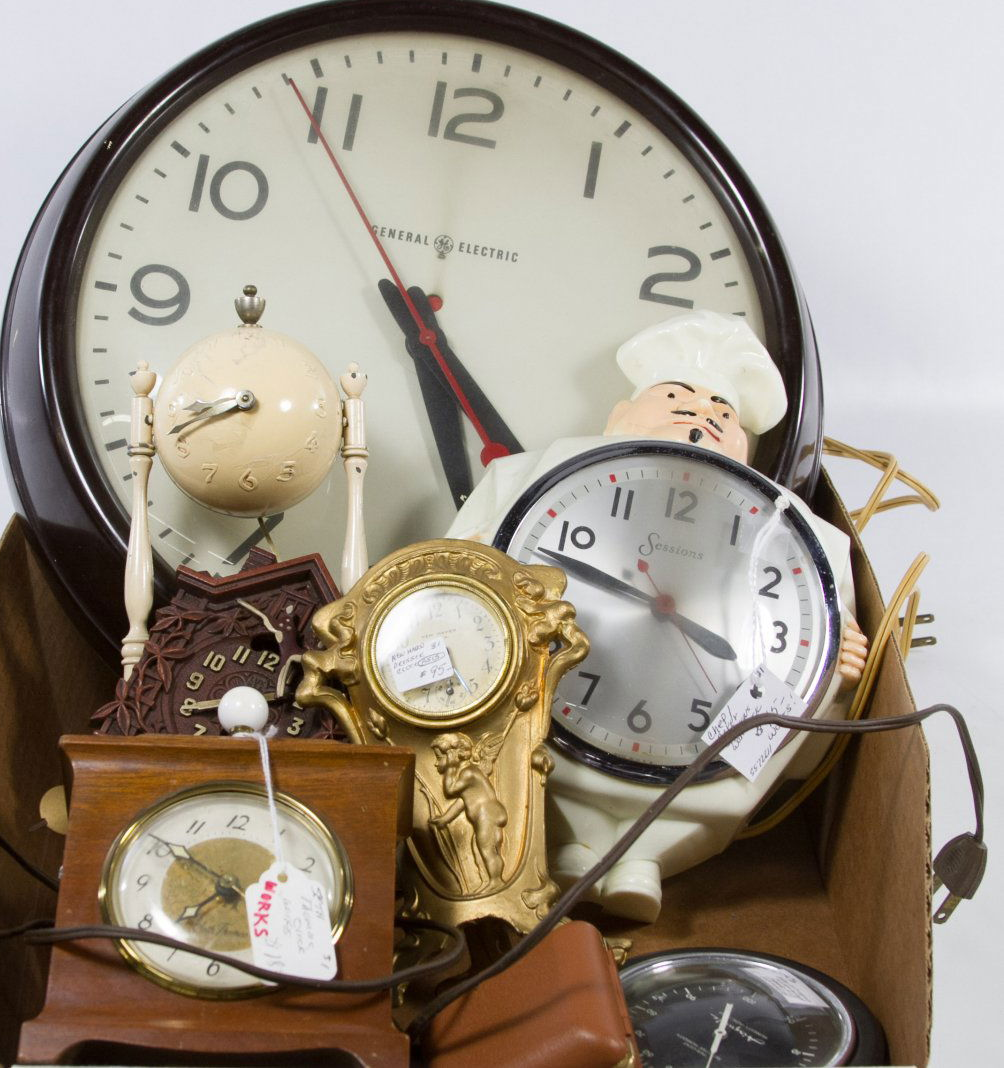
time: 3:47
